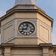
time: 9:02
